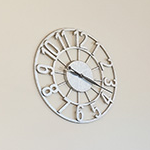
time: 3:17
